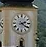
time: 2:21
